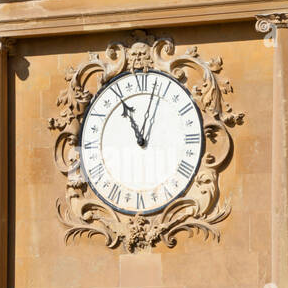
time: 11:02
